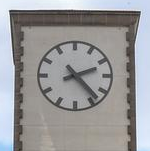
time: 2:23
